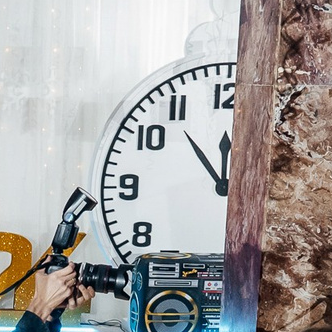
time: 11:53
